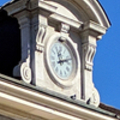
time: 11:11
